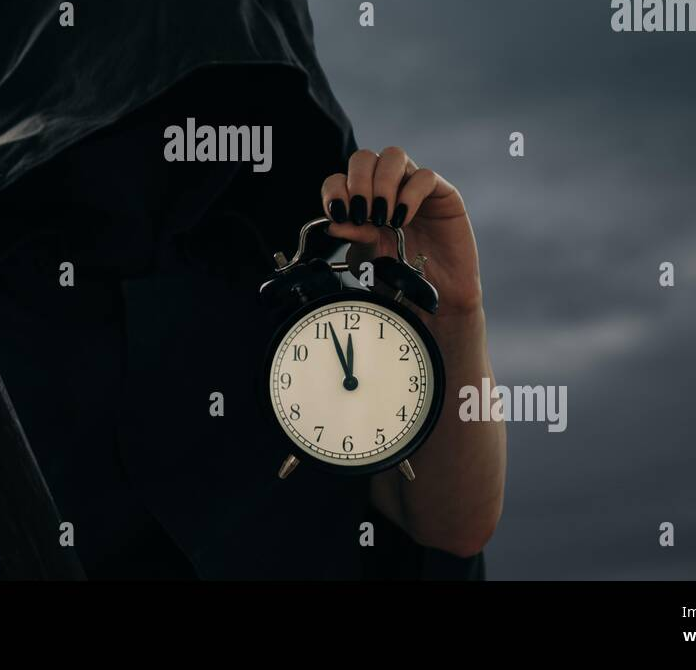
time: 11:56
